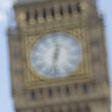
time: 12:32
